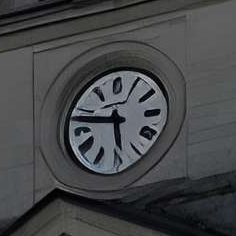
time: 5:47
